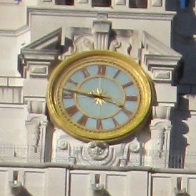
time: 3:46
